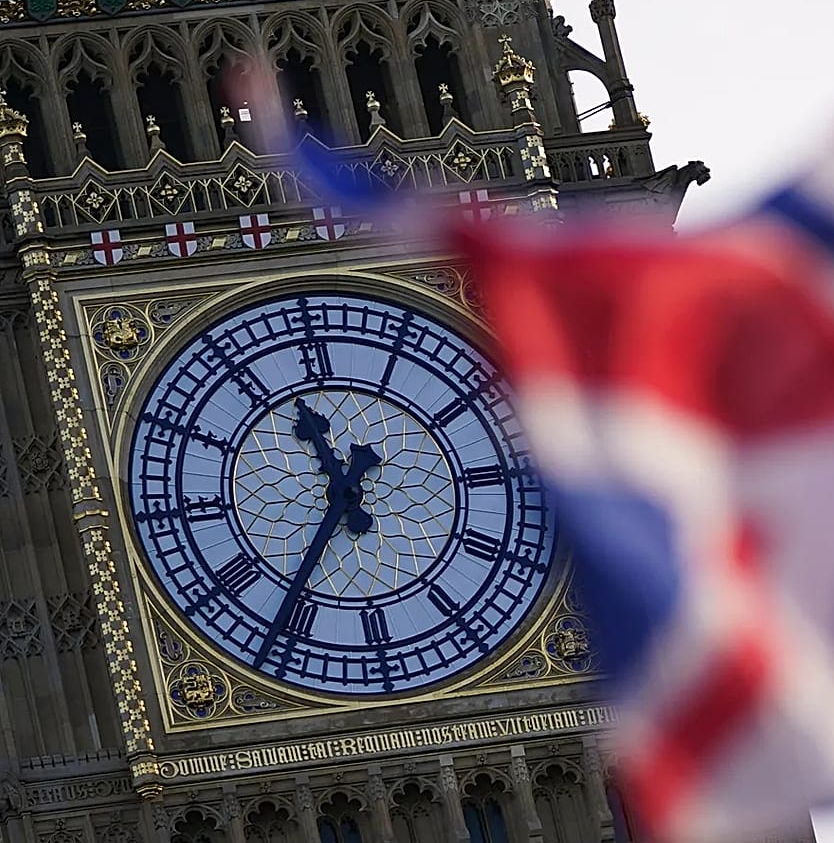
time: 11:35
